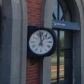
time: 6:58
